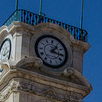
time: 1:16
